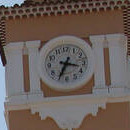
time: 3:34
